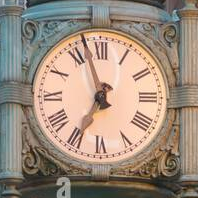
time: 6:57
